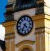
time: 4:35
